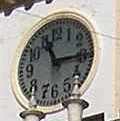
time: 11:14
